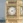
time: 4:12
